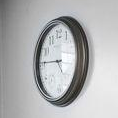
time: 4:45
